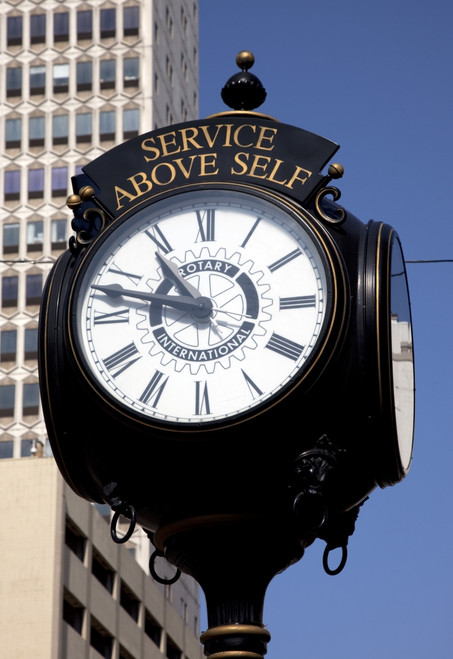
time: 10:47
